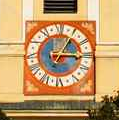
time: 3:05
